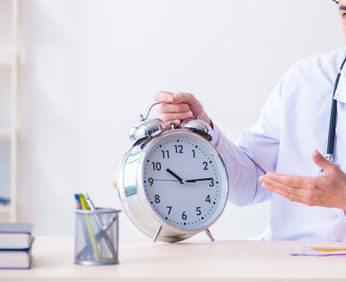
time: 10:14
